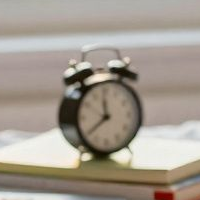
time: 11:38
